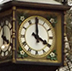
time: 3:59
